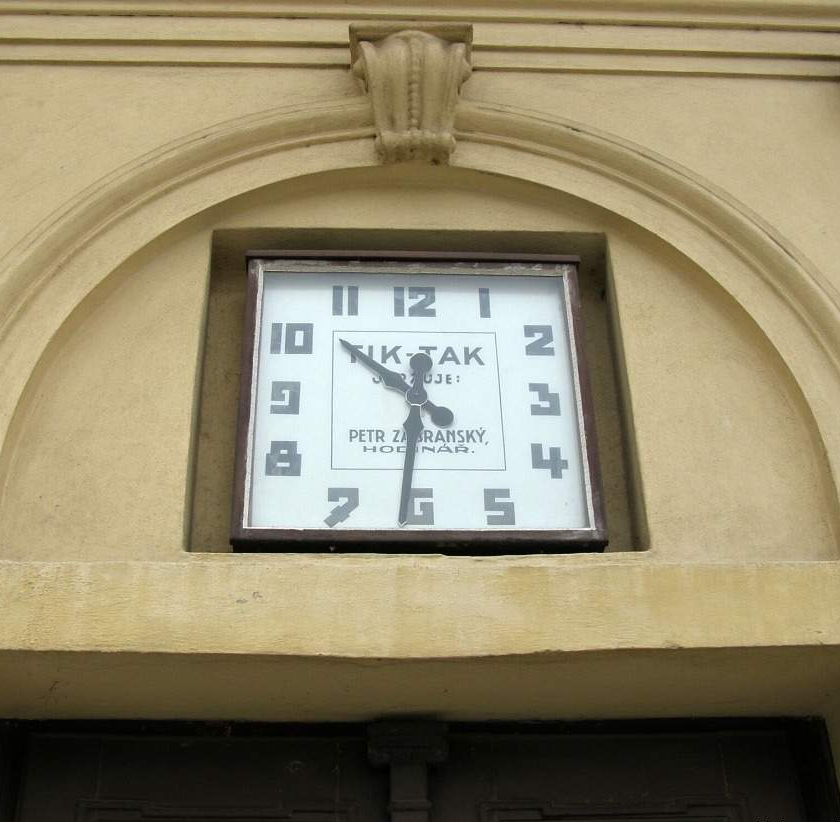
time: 10:31
